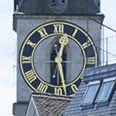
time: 12:27
